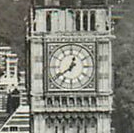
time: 12:39
